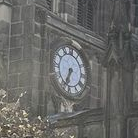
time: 6:34
